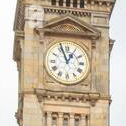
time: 12:56
